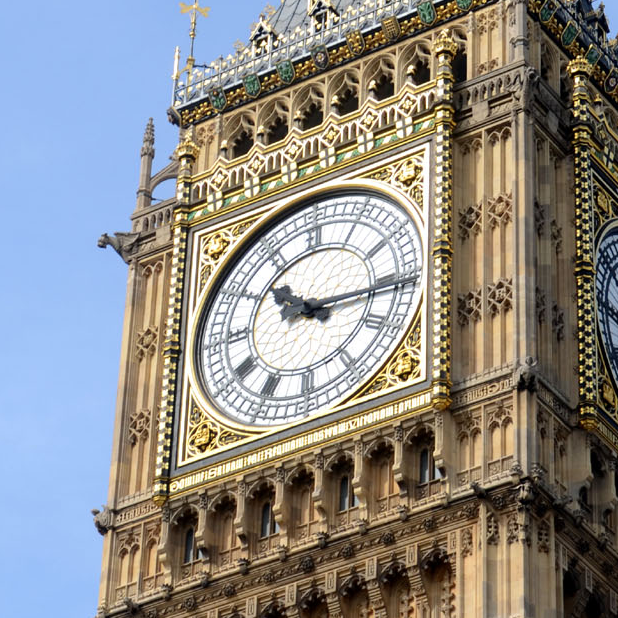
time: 10:15
